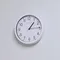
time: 1:14
